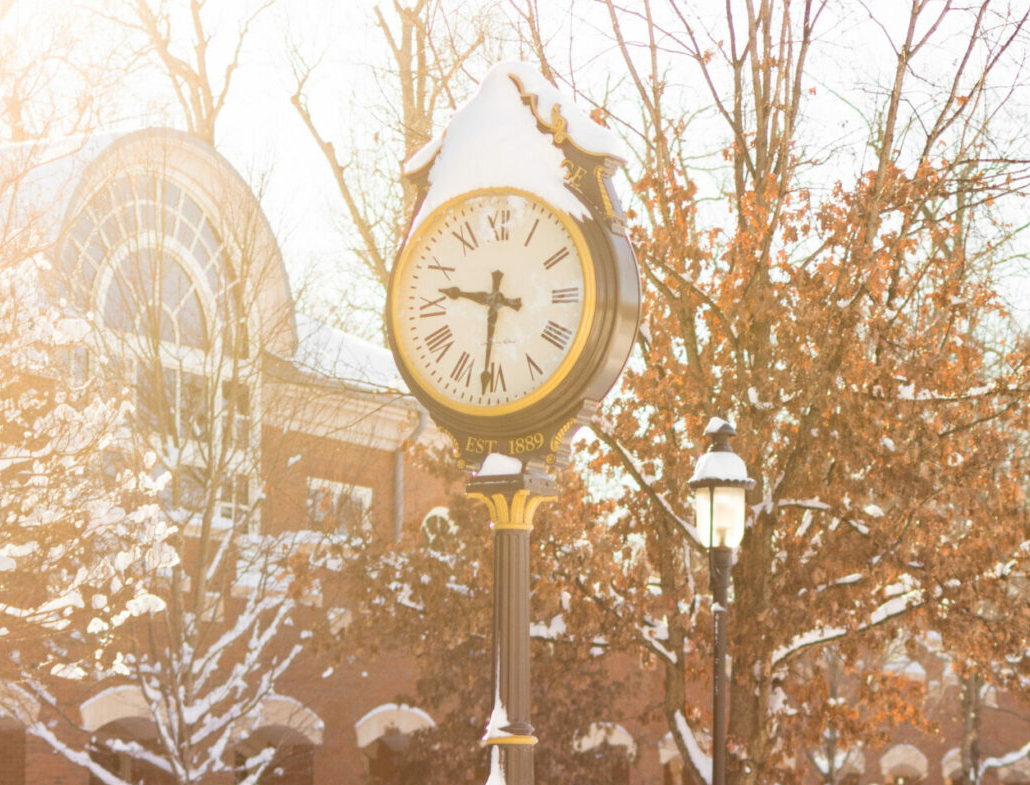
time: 9:31
